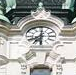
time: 8:01
